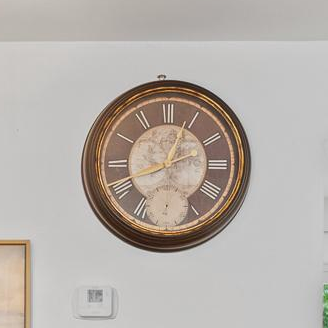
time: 12:41
